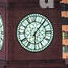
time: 6:06
